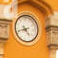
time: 4:42
